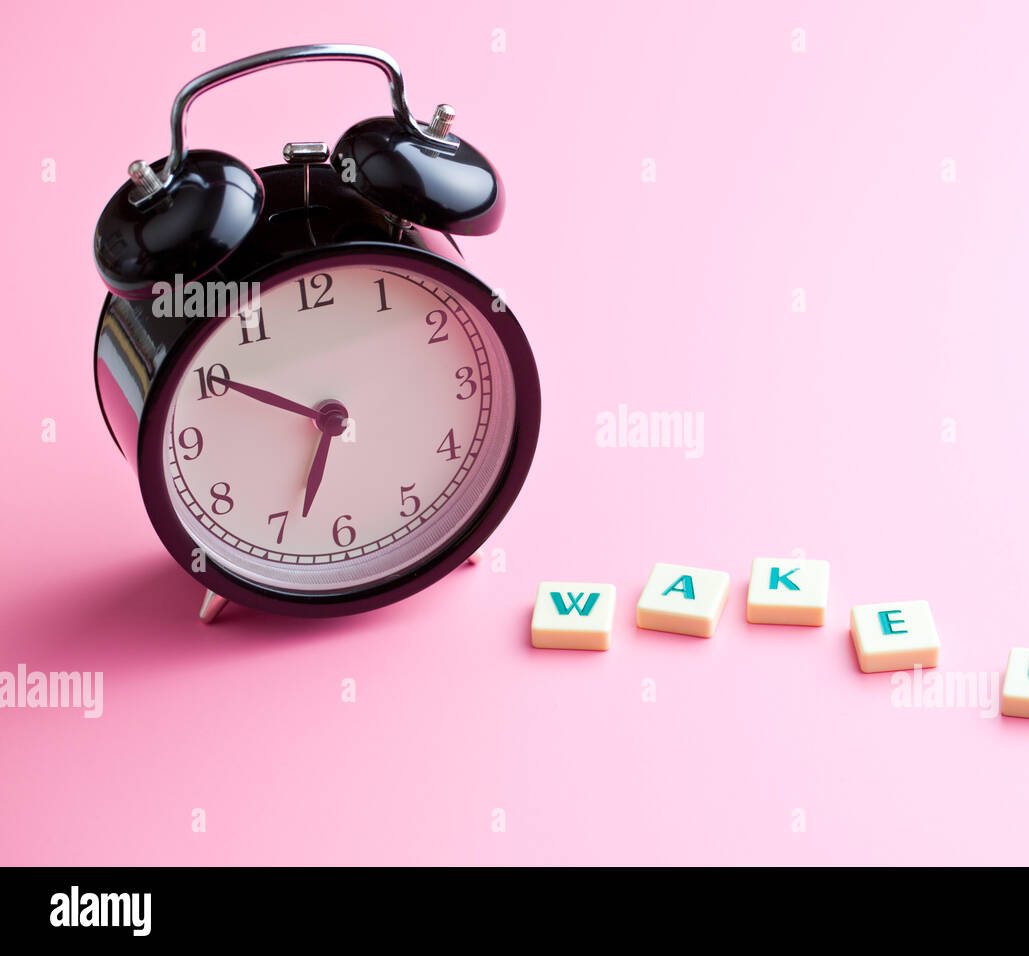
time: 6:50
